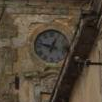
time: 12:47
